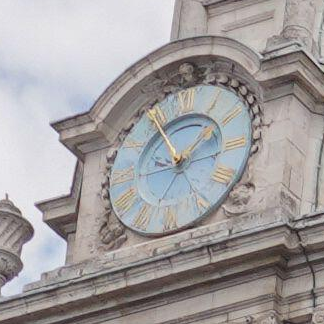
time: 1:54
